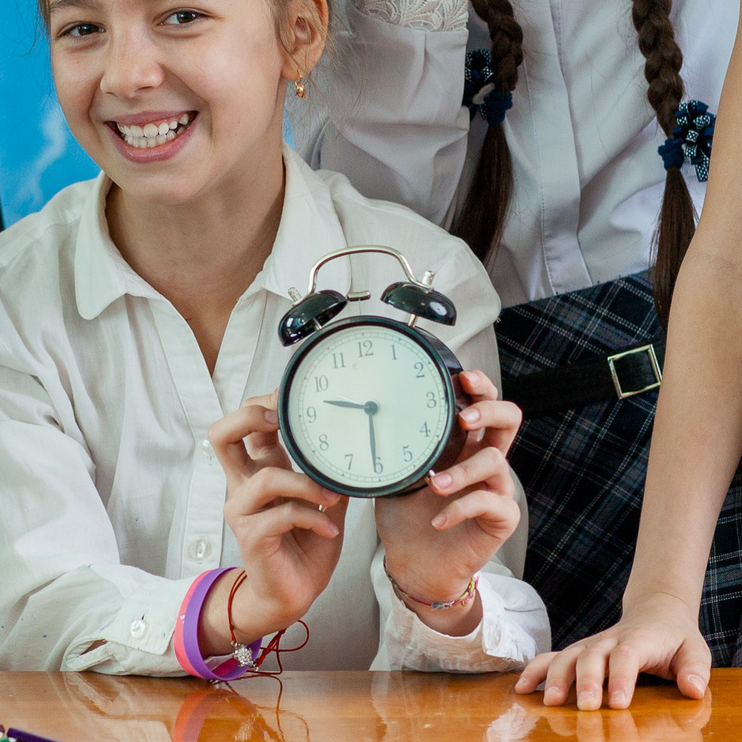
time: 9:30
